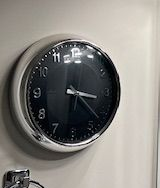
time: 3:22
